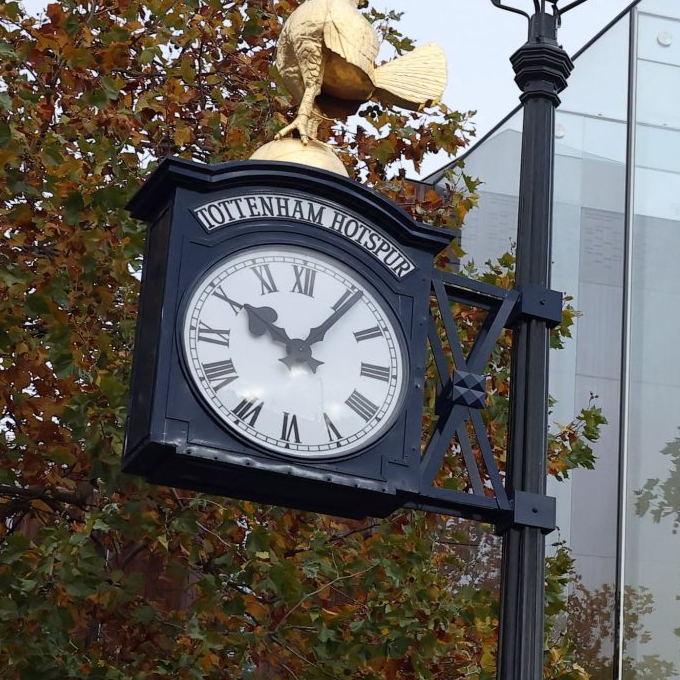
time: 10:06
